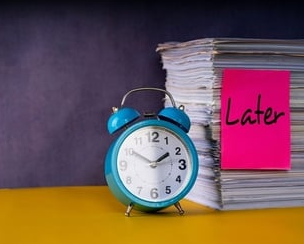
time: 1:50
